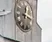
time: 12:19
